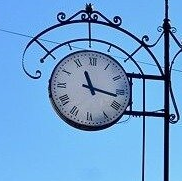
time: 11:16
